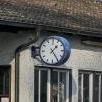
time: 1:24
